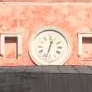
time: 12:32
